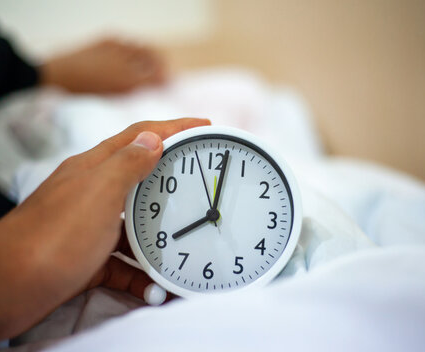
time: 8:01
